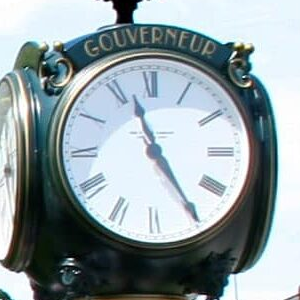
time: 11:24
